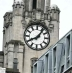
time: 8:06
